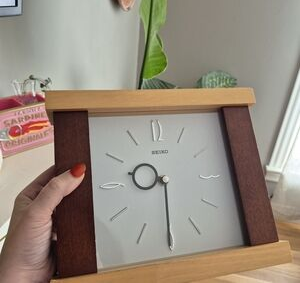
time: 8:30
